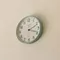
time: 2:18
